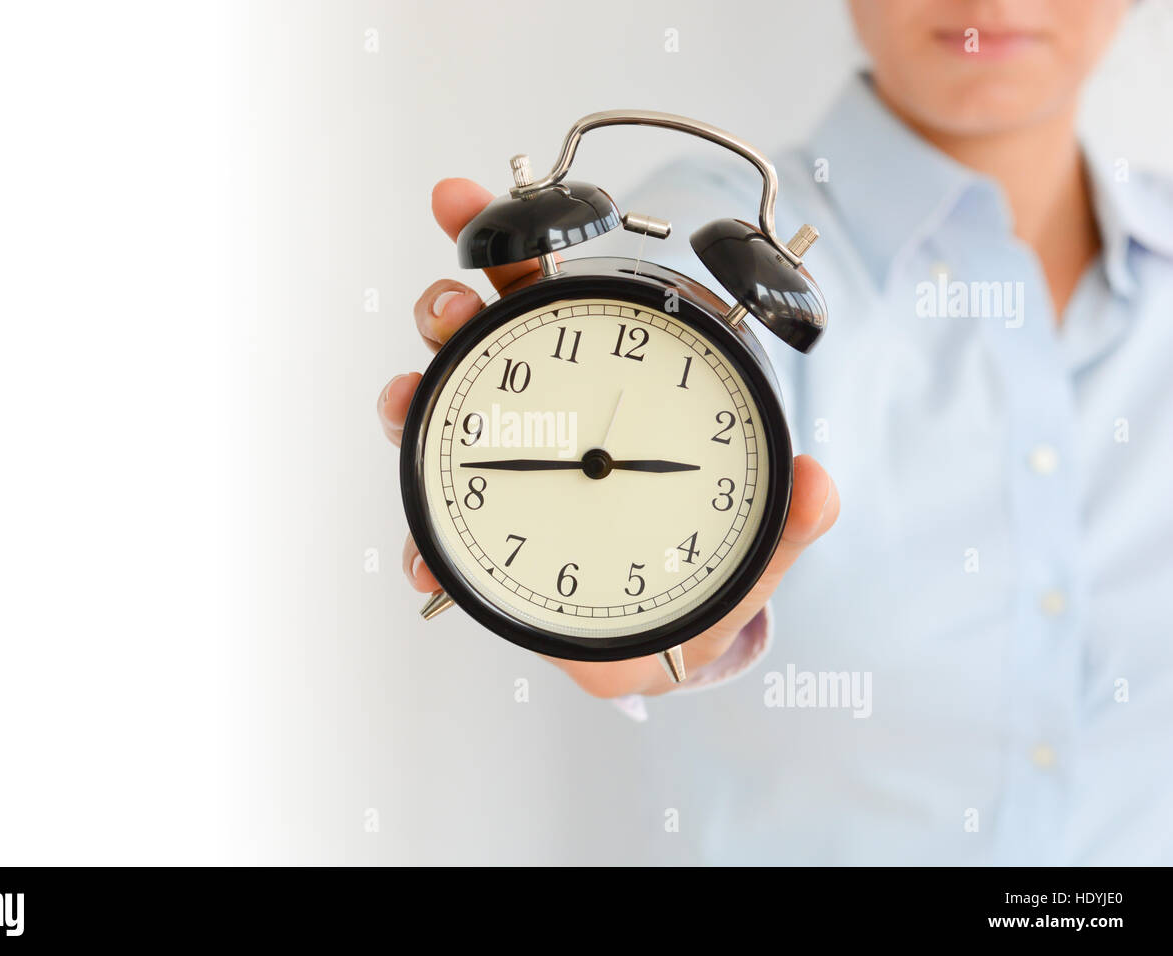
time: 2:42
